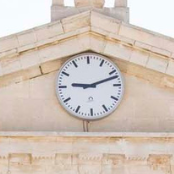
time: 9:12
